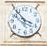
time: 3:54
